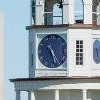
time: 5:24
